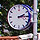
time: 2:14
